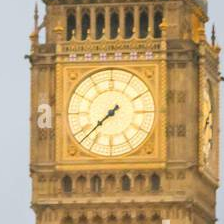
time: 7:37
